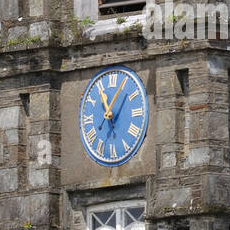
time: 11:04
